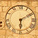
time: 6:10
